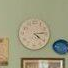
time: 4:13
